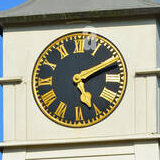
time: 5:10
